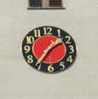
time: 1:36
